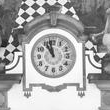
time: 10:58
